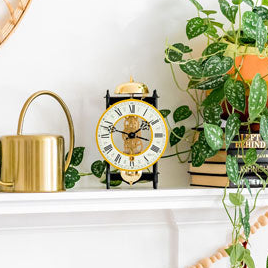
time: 1:47
